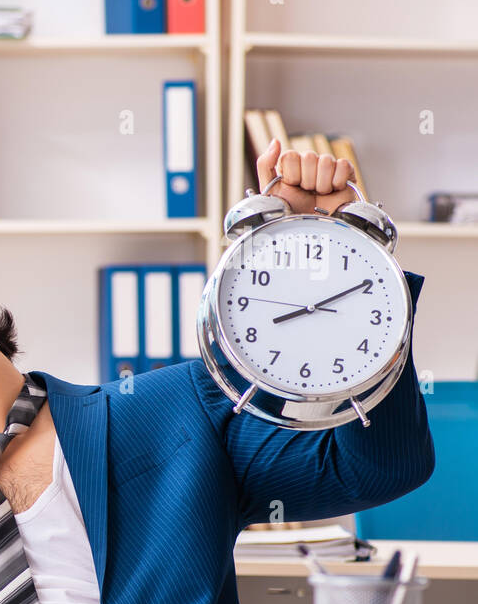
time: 8:09
